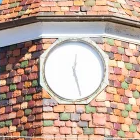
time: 12:27
